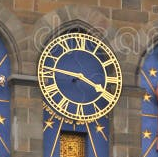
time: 3:46
